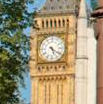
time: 5:20
